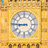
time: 8:45
